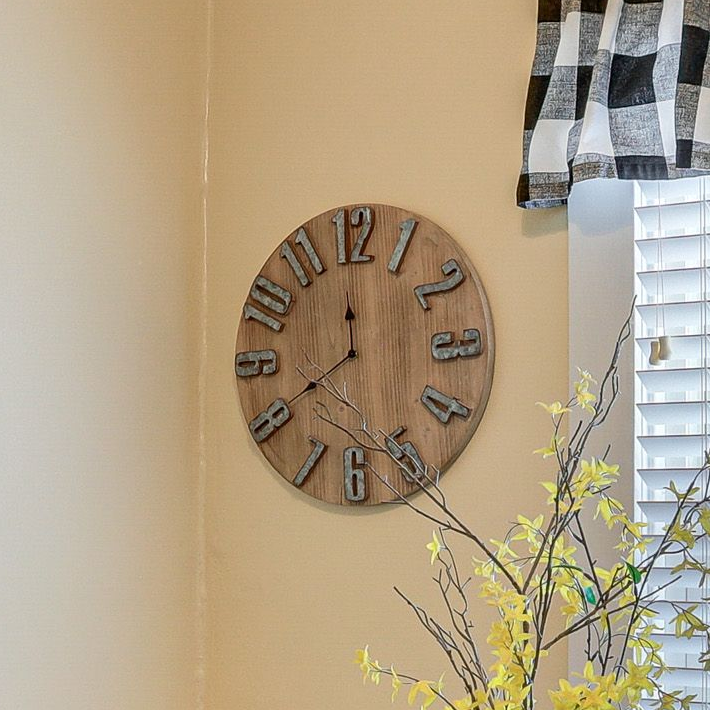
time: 11:40
